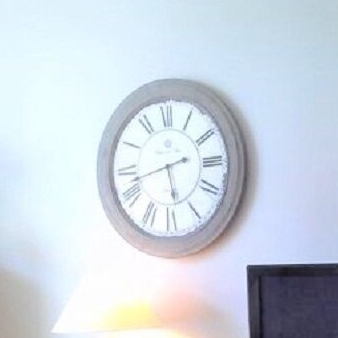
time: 5:42
